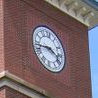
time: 3:43
